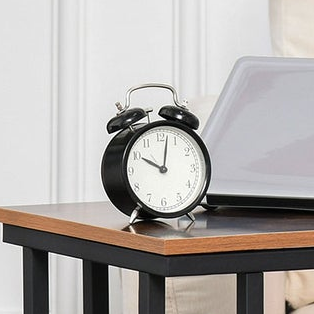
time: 10:01
